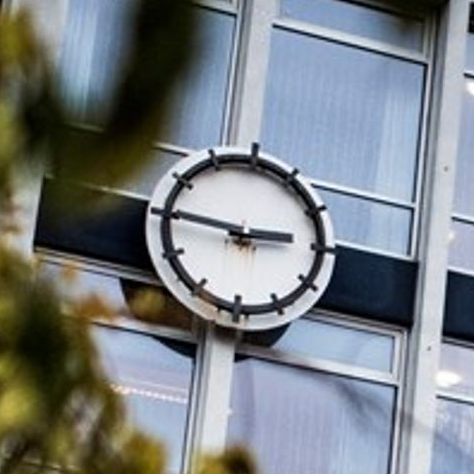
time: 2:46
